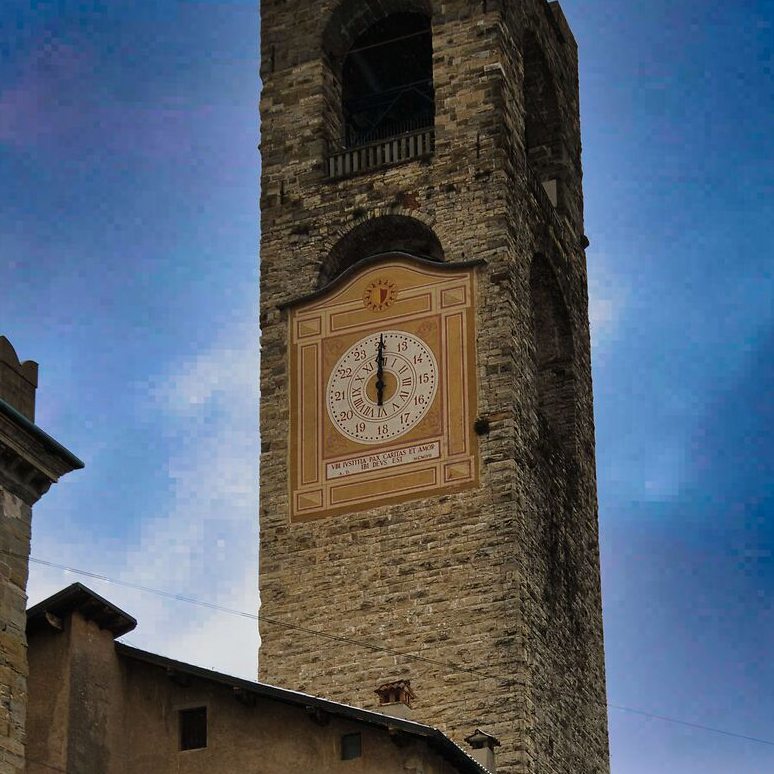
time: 12:00
